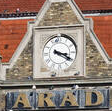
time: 3:20
